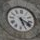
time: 5:18
